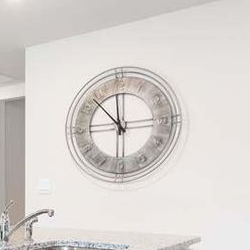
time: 11:52
